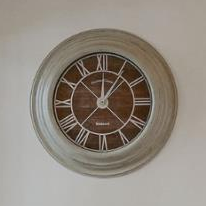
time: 12:05
